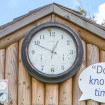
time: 12:49
